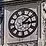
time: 3:08
